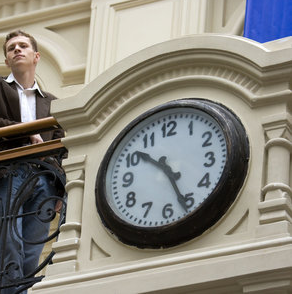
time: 10:26
